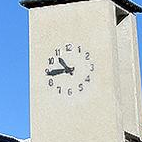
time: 10:44
